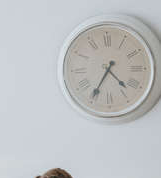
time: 4:35
